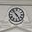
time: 4:53
